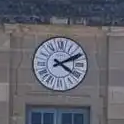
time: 4:10
